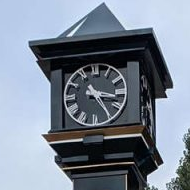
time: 3:24
